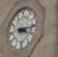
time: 9:12
